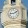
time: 9:10
